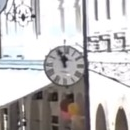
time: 11:55
